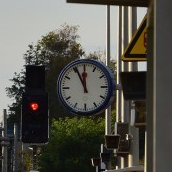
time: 11:55
